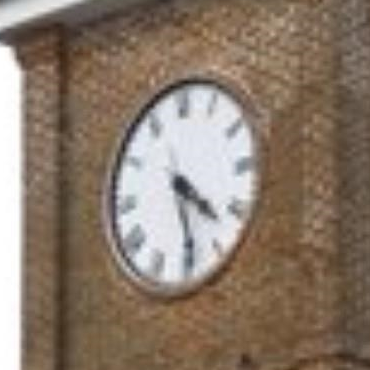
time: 4:28
